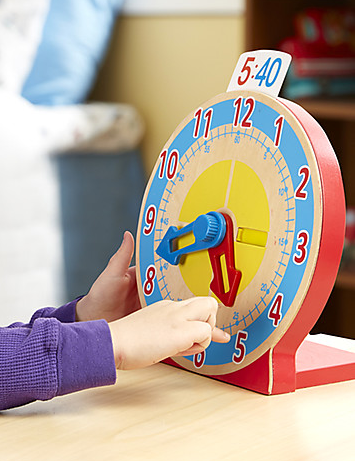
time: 8:25
